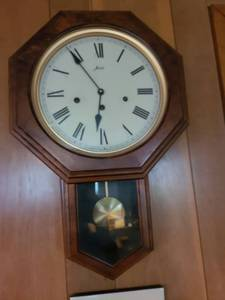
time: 5:54
